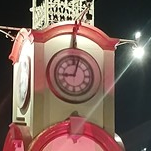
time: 9:02
